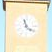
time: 11:21
